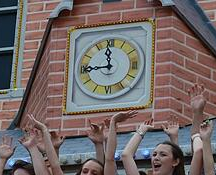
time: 11:44
